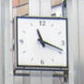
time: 11:18
